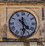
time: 4:28
